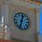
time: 12:32
